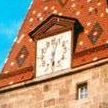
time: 6:03
